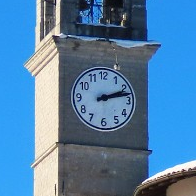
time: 2:12
